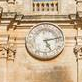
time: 5:12
